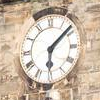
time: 6:08
